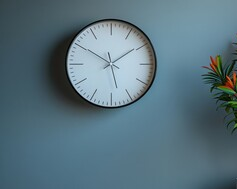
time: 1:50
